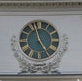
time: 4:57
